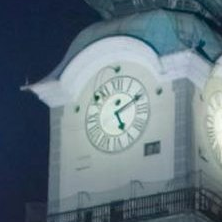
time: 5:09
